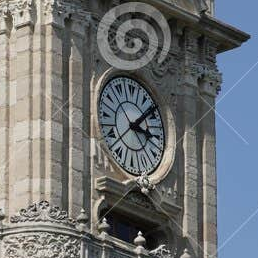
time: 3:08
